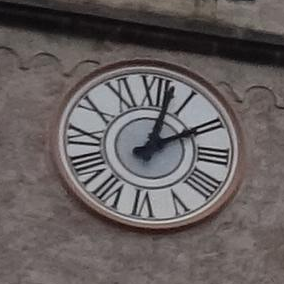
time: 2:02
